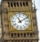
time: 11:09
